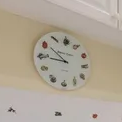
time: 8:50
